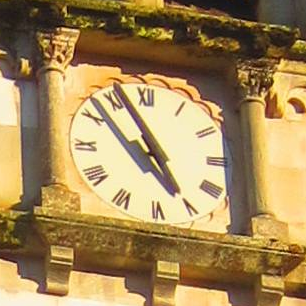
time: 4:56
